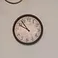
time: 9:53
